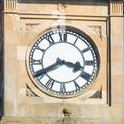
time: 3:40
